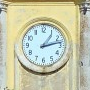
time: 1:12
